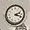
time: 2:18
